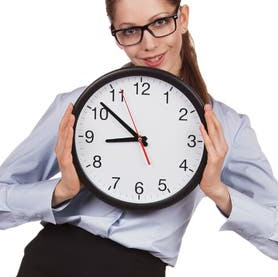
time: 8:51
